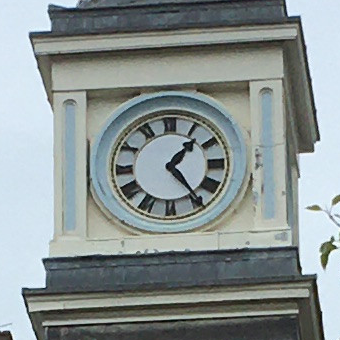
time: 1:24
